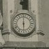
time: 6:00
